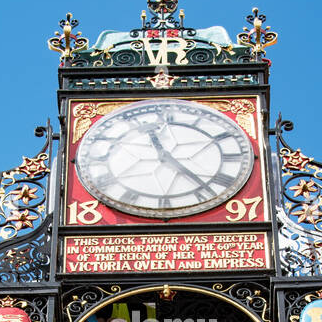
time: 11:23
